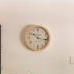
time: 10:17
